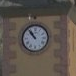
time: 10:53
